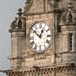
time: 12:52
